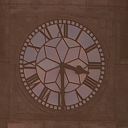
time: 3:29
